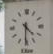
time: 4:30
